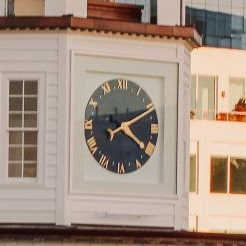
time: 4:10
